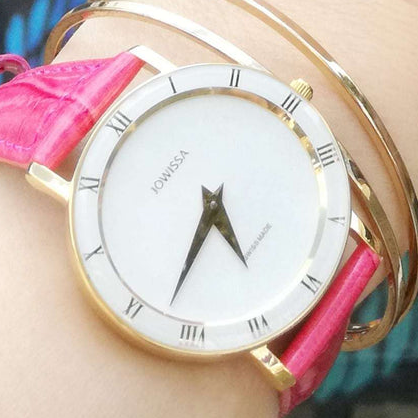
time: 4:32
